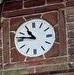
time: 10:46
